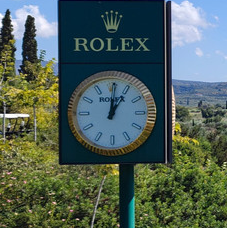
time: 1:00
